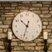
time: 10:32
